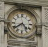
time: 4:38
